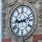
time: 9:12
